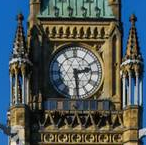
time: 2:29
